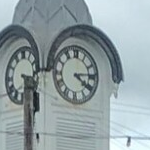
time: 4:14
